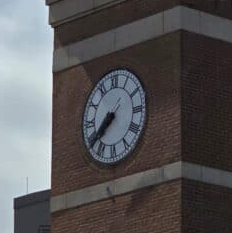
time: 7:37
